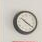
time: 10:20
